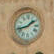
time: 1:42
